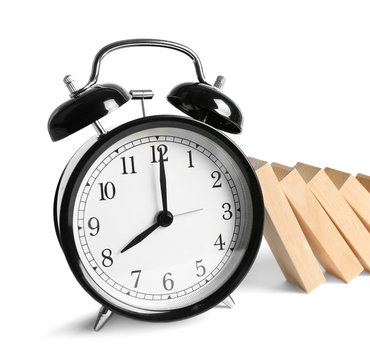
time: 8:00
